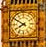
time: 7:50
